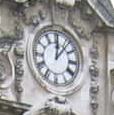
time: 12:06
